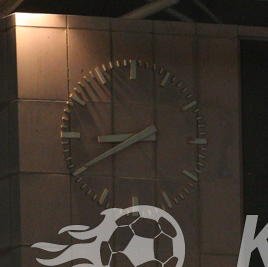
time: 8:40
